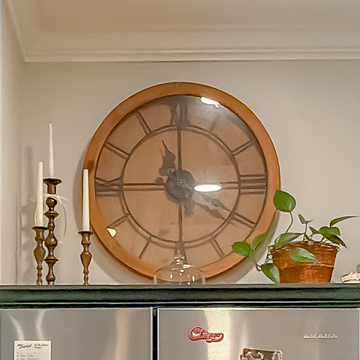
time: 11:45
